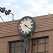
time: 4:21
